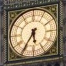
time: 5:35
